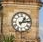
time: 1:13
